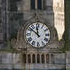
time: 11:51
